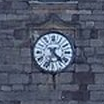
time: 4:33
